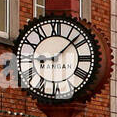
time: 8:07
